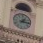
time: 1:16
